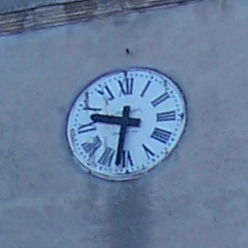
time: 9:31
